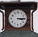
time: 3:14
